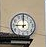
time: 8:59
